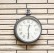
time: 12:29
